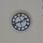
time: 1:41
